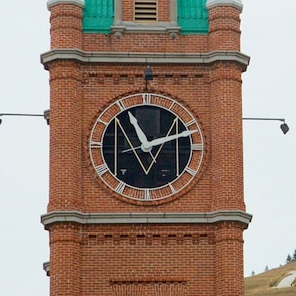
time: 11:12
